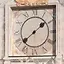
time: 1:38
